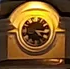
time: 4:14
